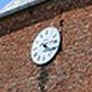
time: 4:14
